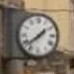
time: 1:38
